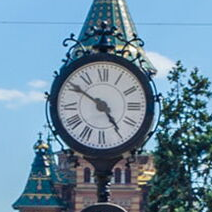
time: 4:50
